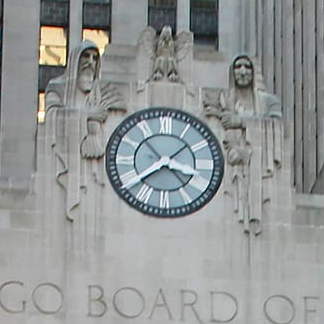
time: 3:38
